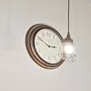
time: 2:50
